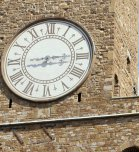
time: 8:14
